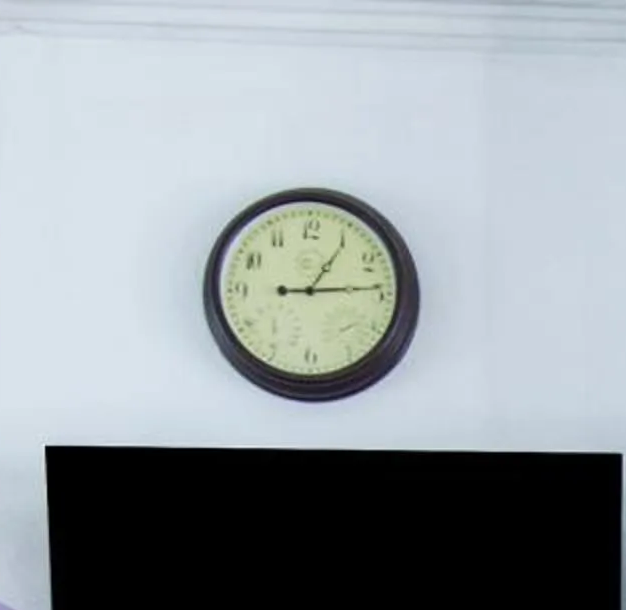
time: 1:14
